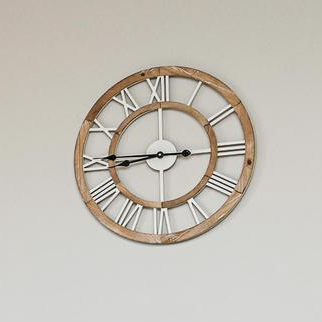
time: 8:44
